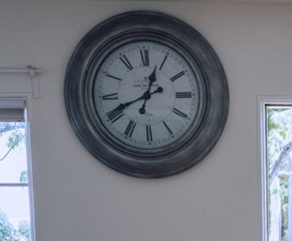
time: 12:41
